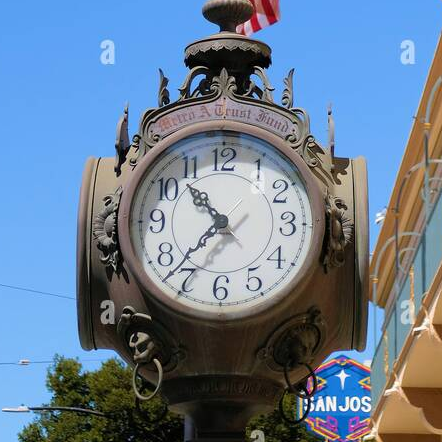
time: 10:37
